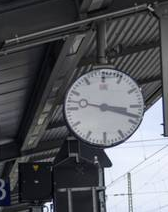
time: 3:18
